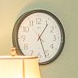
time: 1:26
